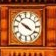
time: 3:50
